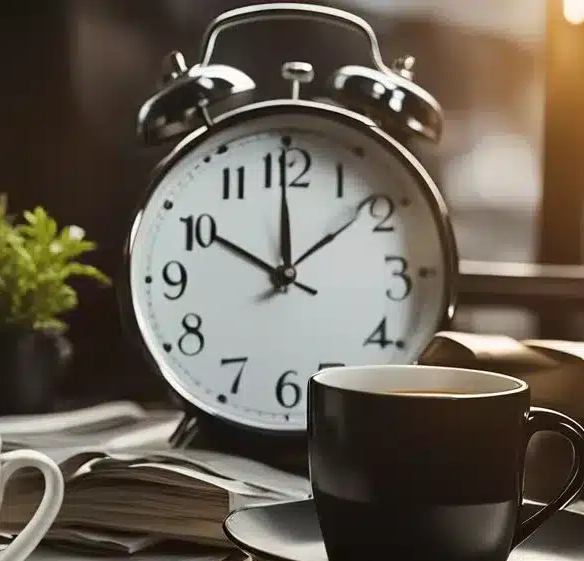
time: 9:59
